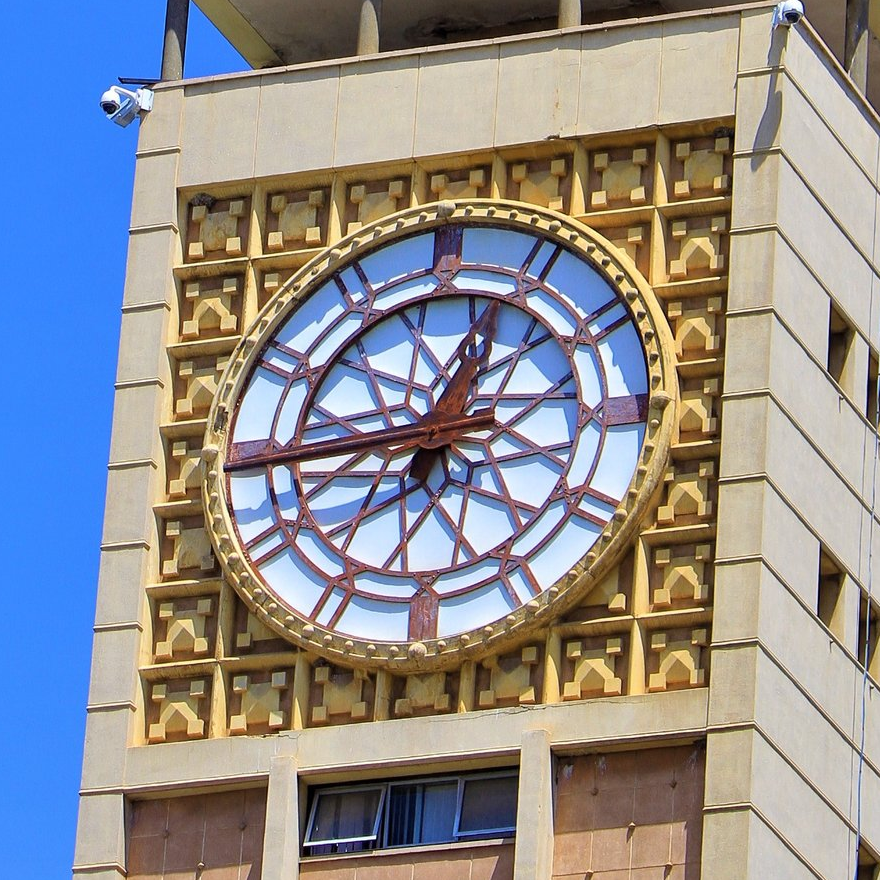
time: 12:44
